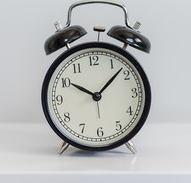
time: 10:07
